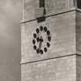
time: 9:33
